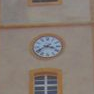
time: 3:40
